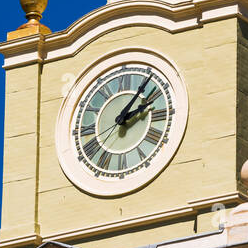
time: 2:06
